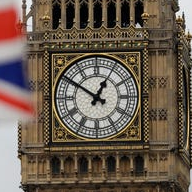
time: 12:50
